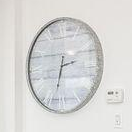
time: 2:32
